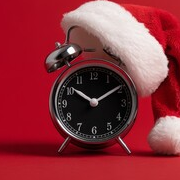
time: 10:09
